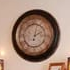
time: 2:02
